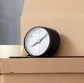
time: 8:07
